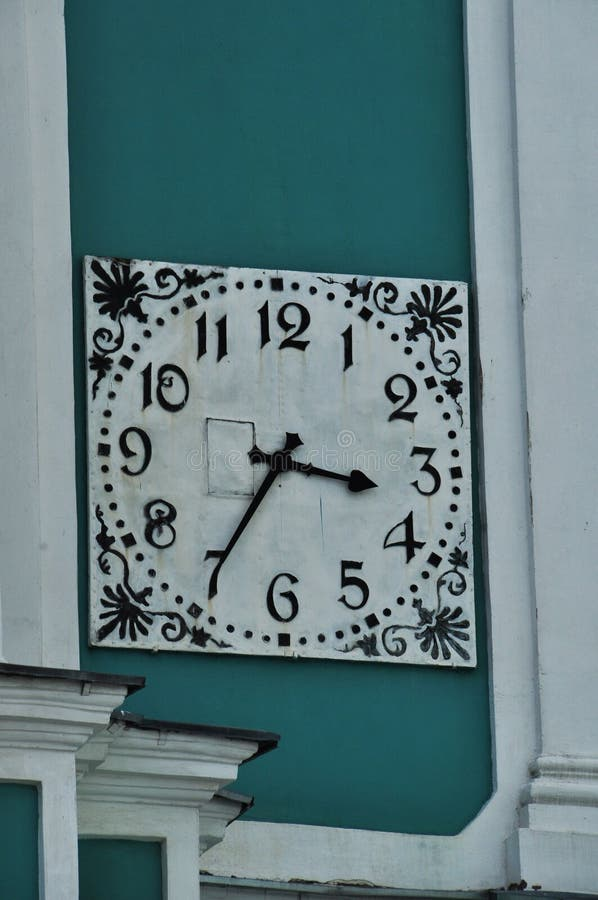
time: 3:35
